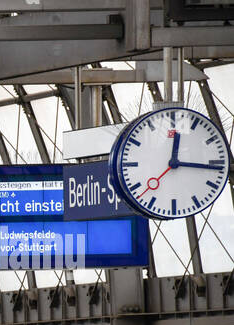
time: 12:16
